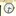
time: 3:32
